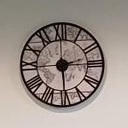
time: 2:29
